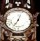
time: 7:03
